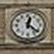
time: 12:21
